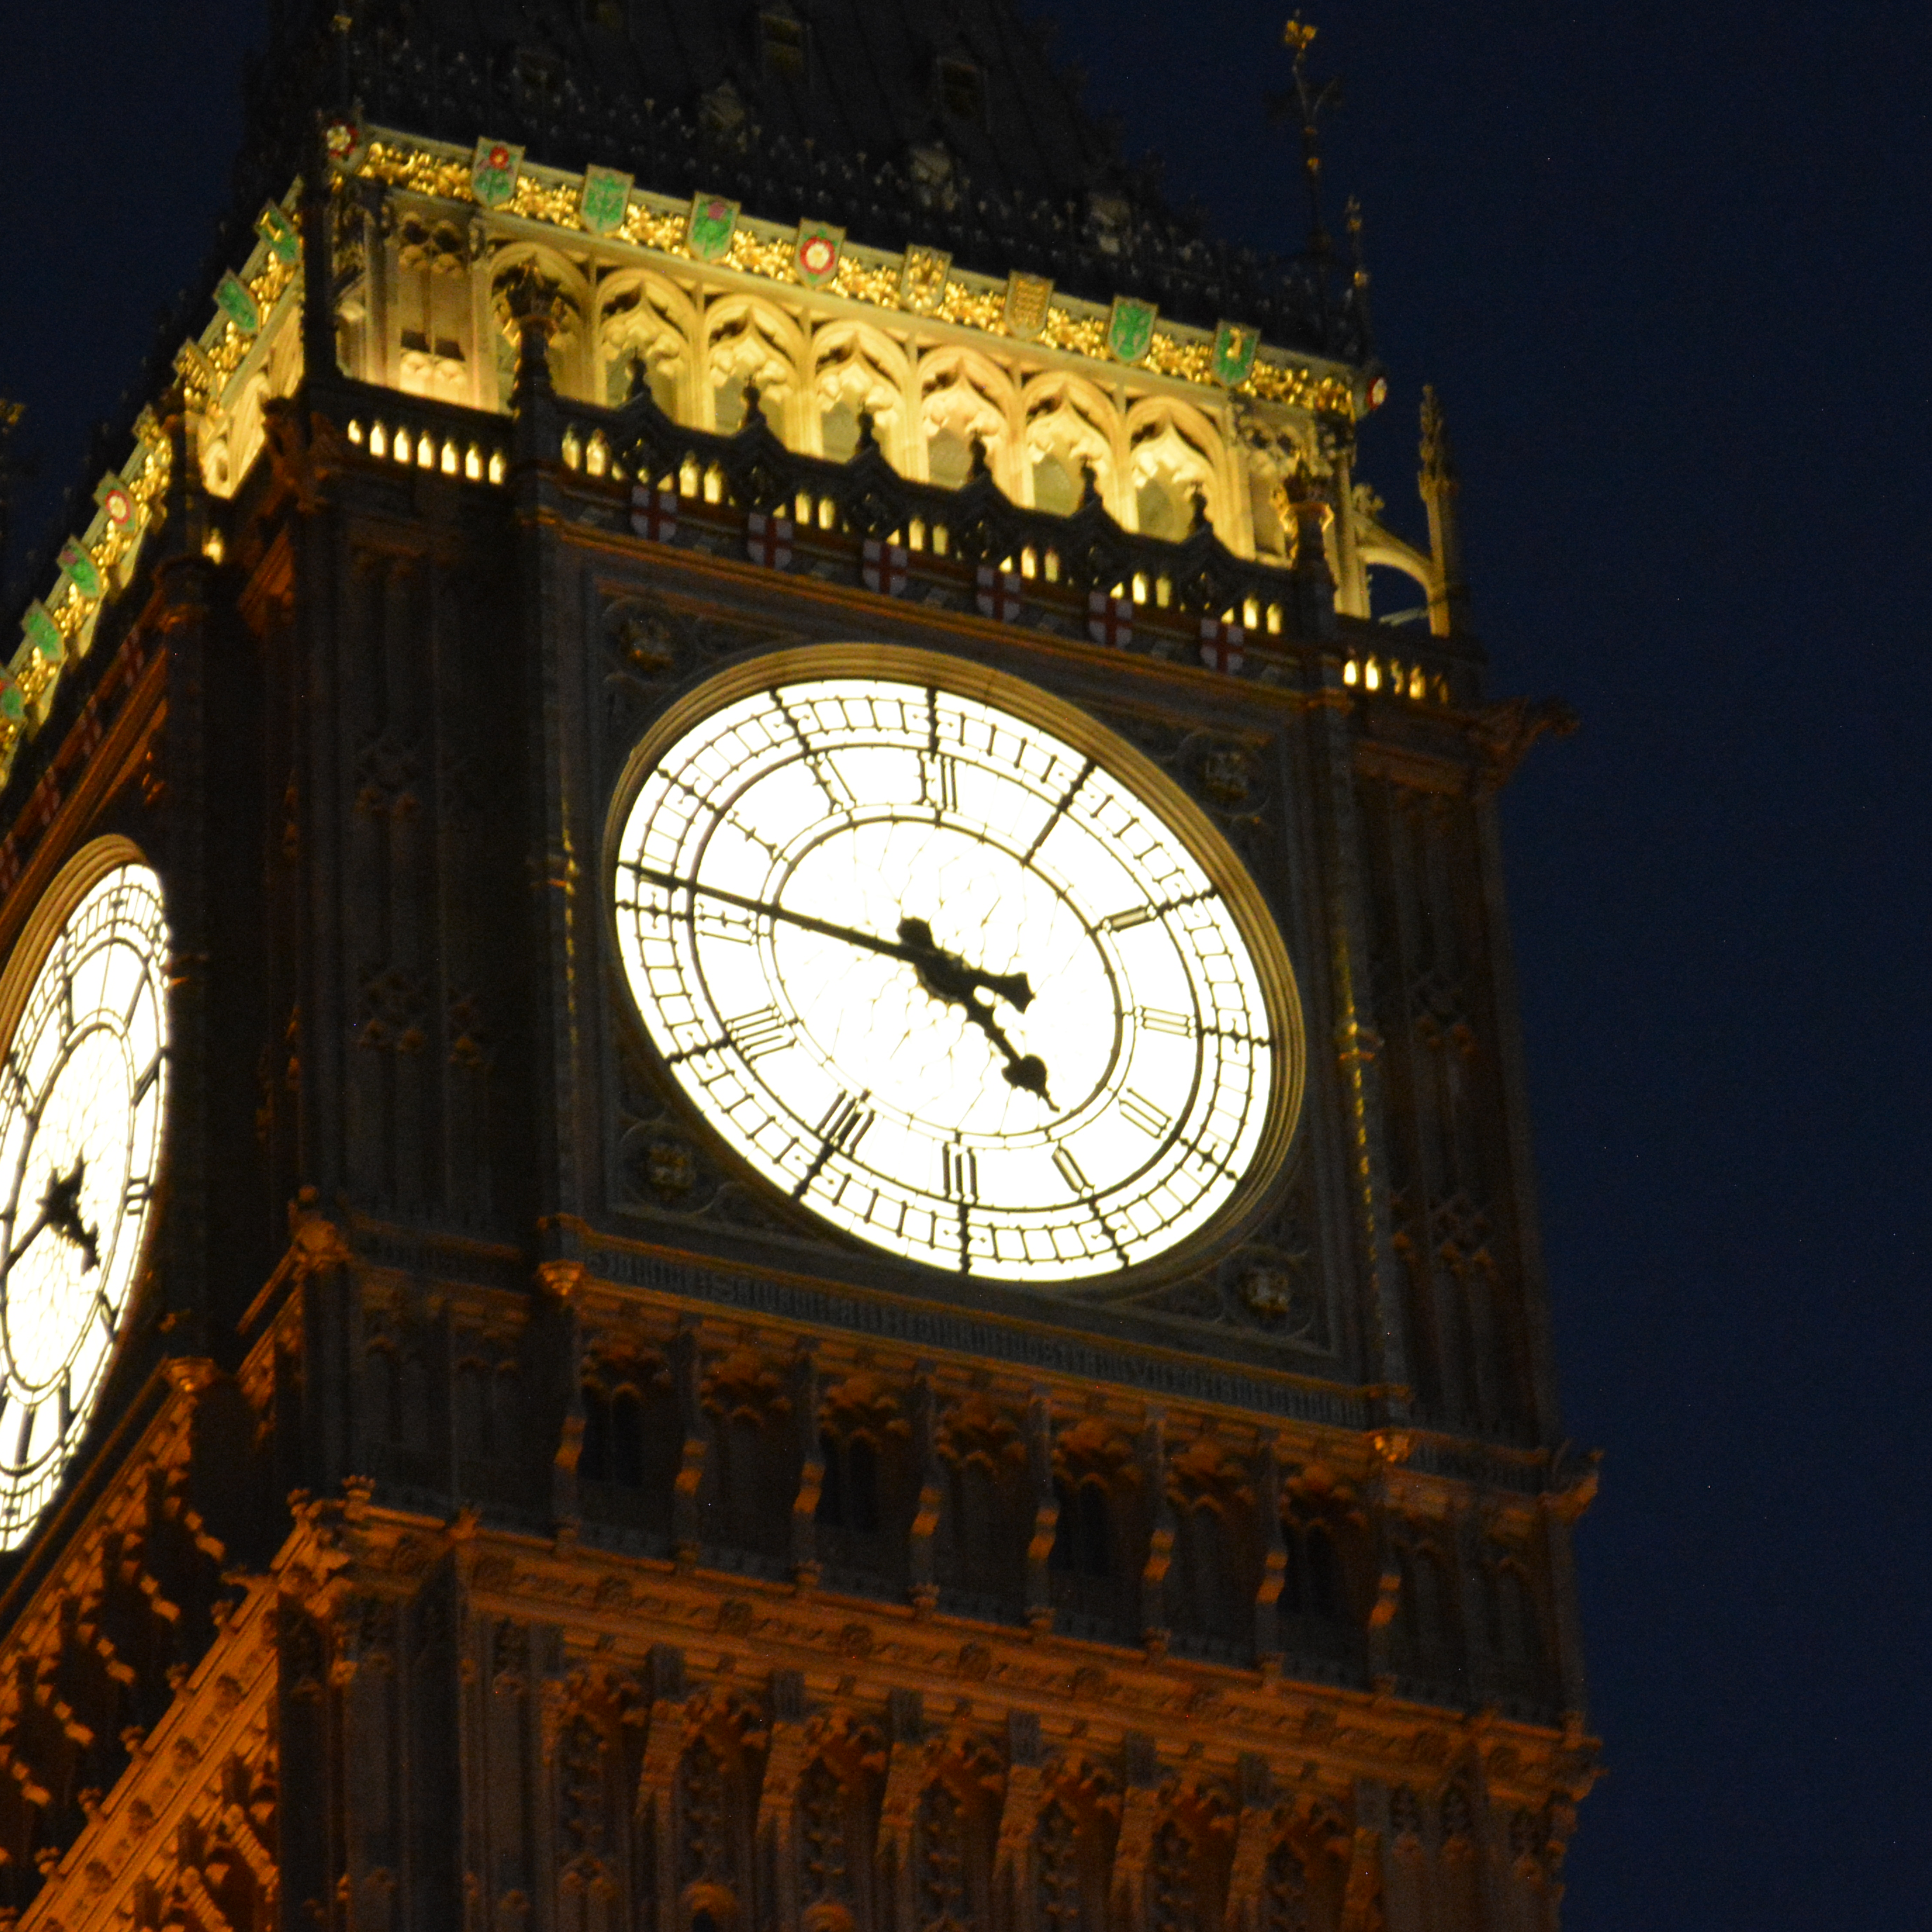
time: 4:46
